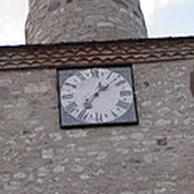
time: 1:36
